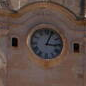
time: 3:04
